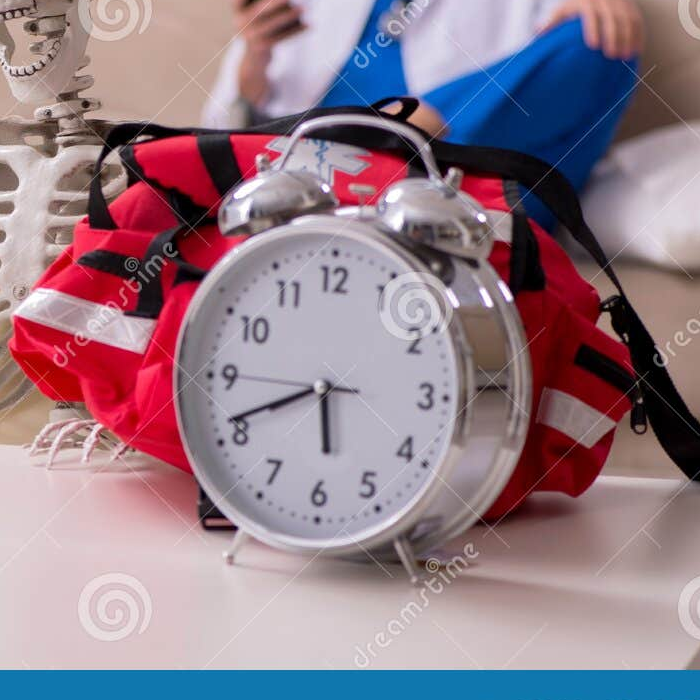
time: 5:41
